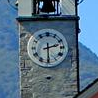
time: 2:29
